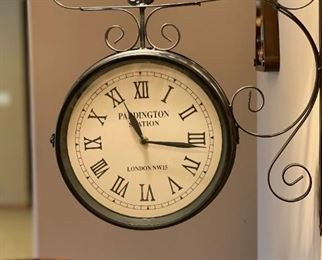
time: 11:16
